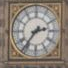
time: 2:36
